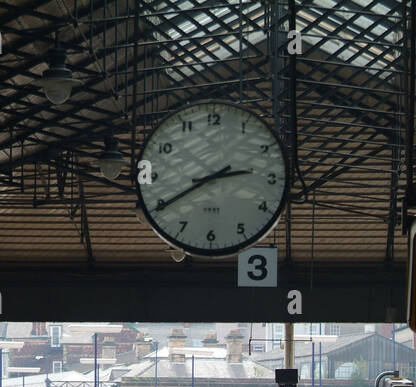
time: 2:40
